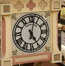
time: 5:02
